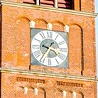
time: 9:36
